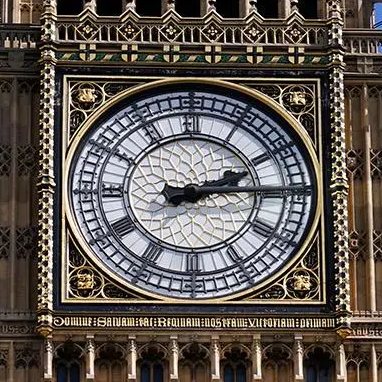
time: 2:14
